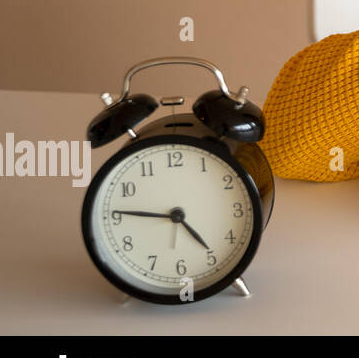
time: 4:46
